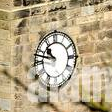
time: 10:47
